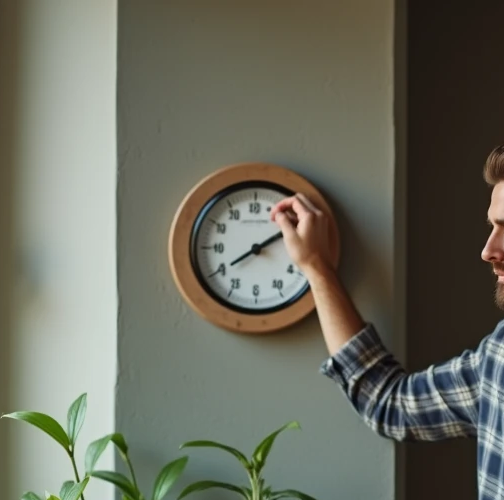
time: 1:39
